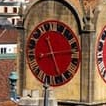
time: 11:13
